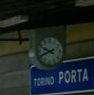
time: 9:41
